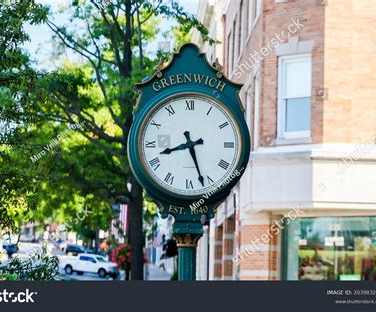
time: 8:26
